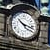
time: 10:17
